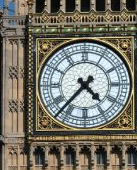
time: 4:37
